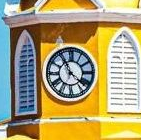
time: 11:22
